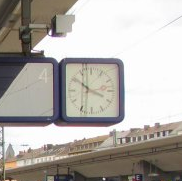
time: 3:50
